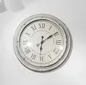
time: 6:09
